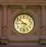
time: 8:51
